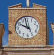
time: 9:57
